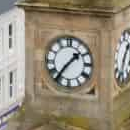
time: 1:36
